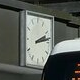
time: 2:13
